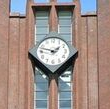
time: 1:47
